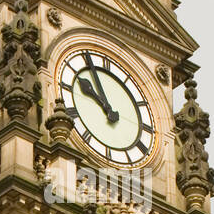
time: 9:55
